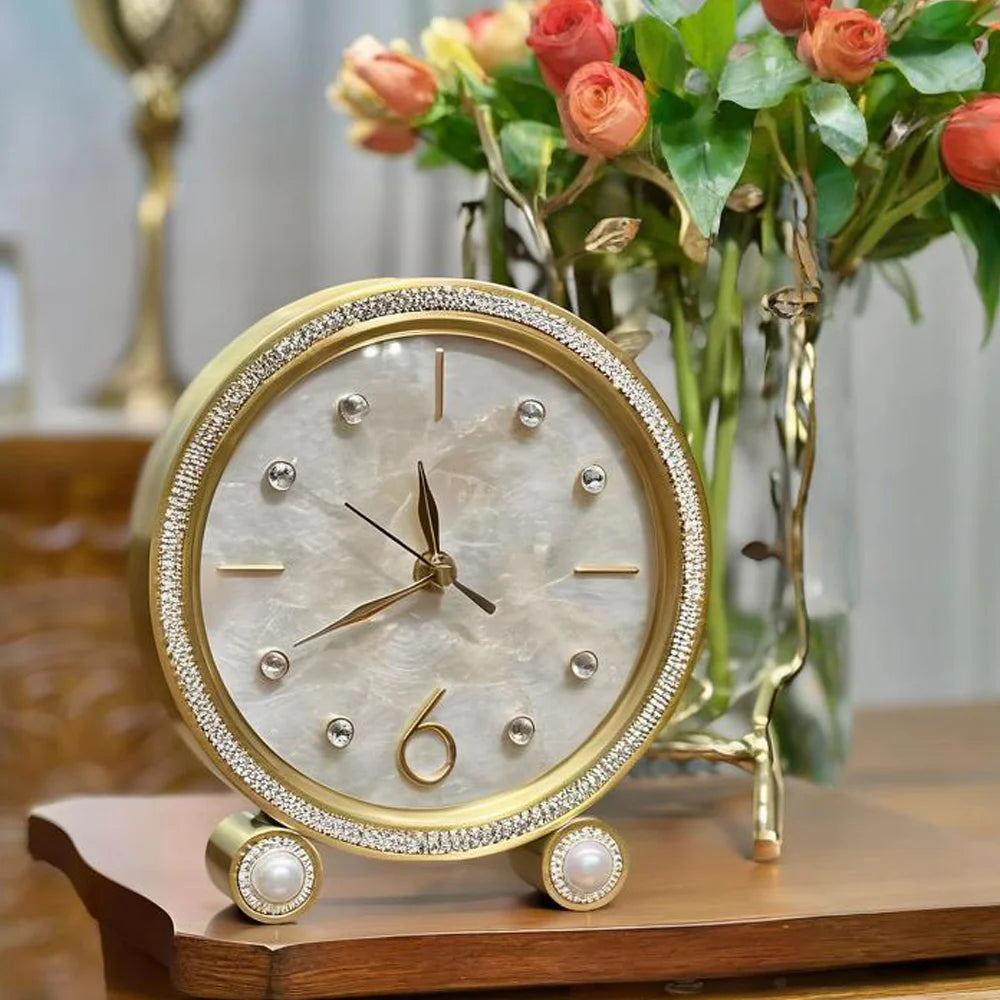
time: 11:40
